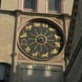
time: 5:35
